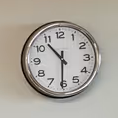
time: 10:30
